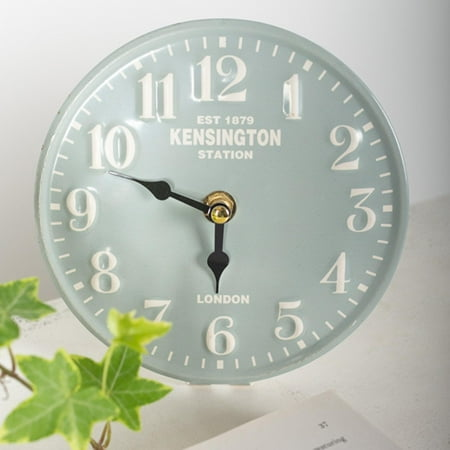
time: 5:48
